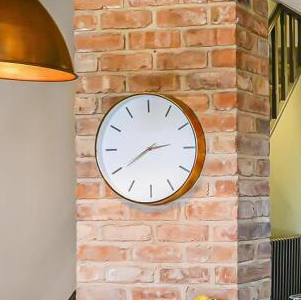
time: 2:40
